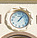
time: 1:07
